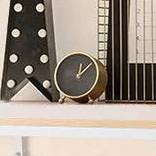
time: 12:07
